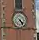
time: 4:23
